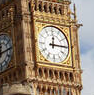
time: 12:14
